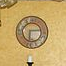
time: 6:13
